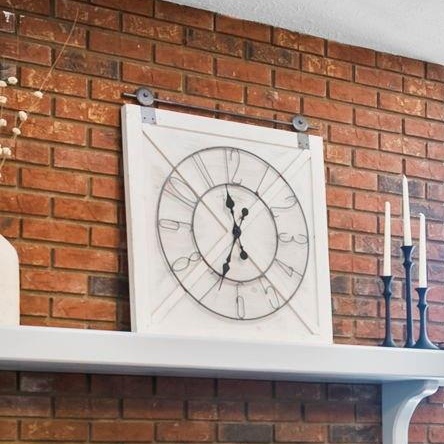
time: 11:33
